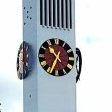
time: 10:34
